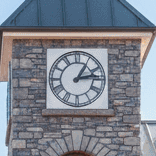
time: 1:13
